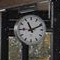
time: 11:10
